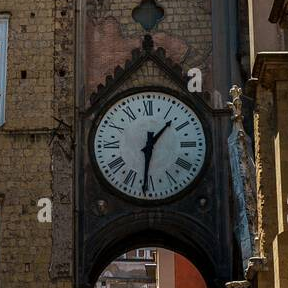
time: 1:31
